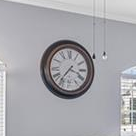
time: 3:36
